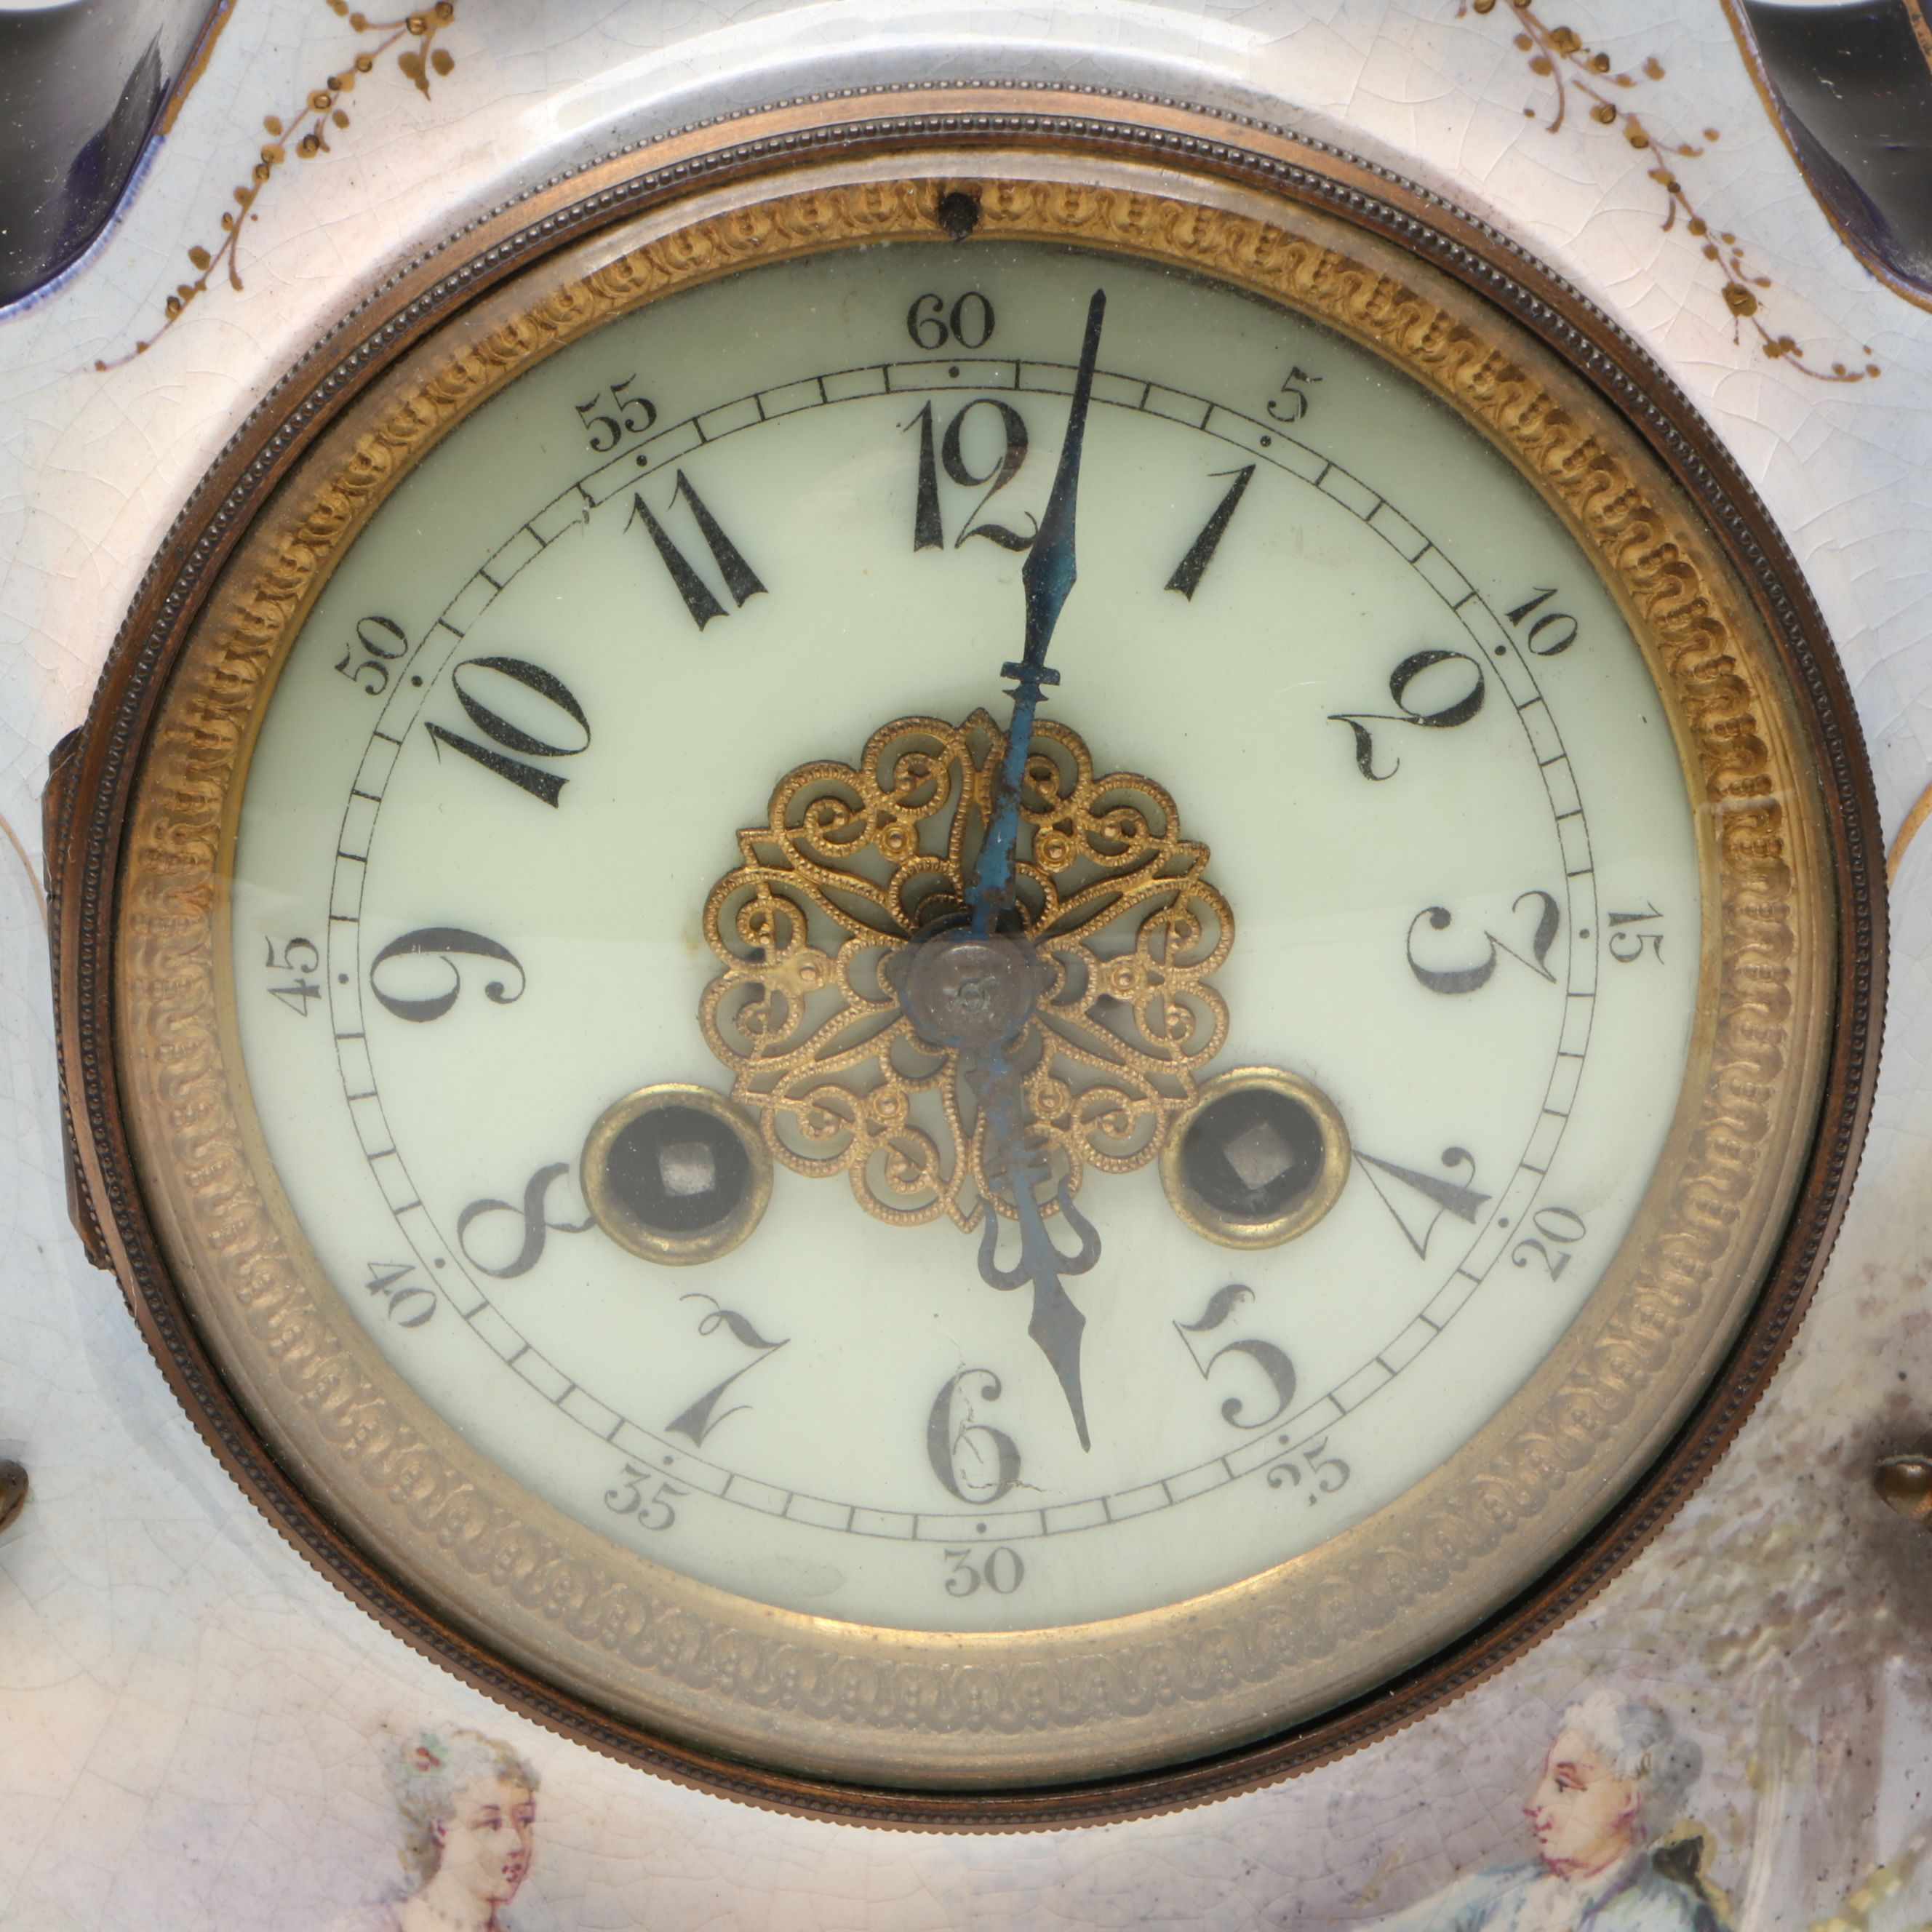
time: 12:28
